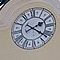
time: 2:21
